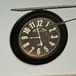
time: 8:58
